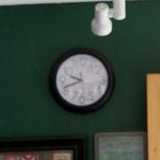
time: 9:41
